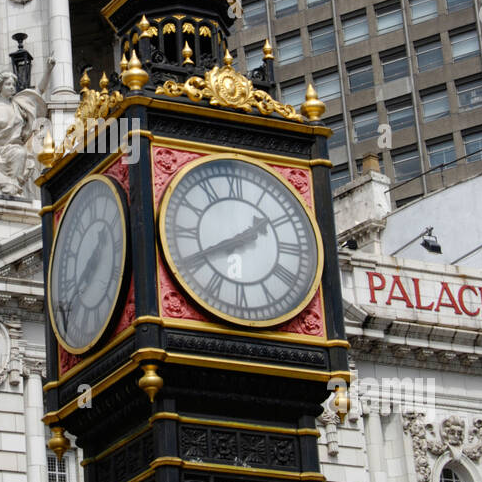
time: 1:40
